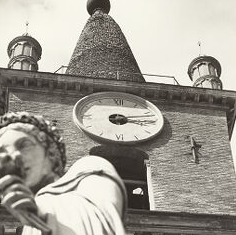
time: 3:12
